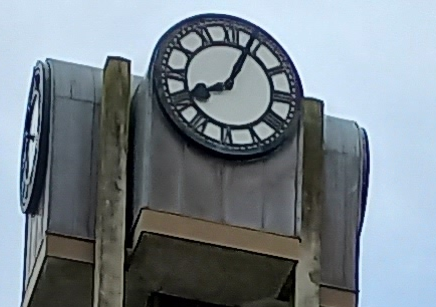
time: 8:03
